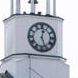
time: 12:26
